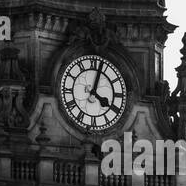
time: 4:02
